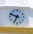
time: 6:48
